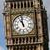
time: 10:58
